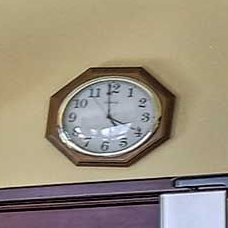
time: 3:59
